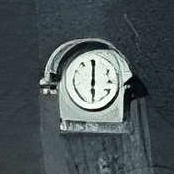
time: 6:00
